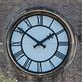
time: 1:50
